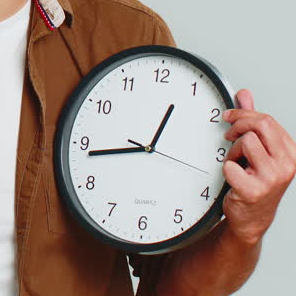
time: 12:43
